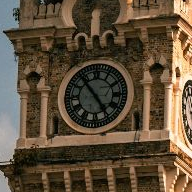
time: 4:53
